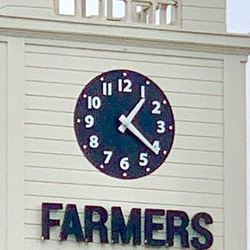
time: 1:21
